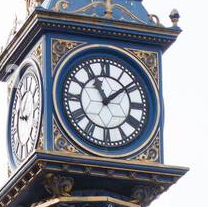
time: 11:08
